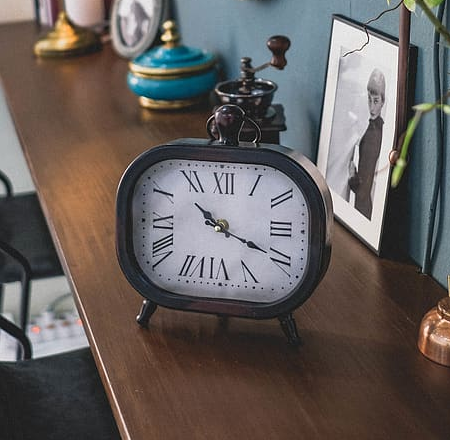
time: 10:19
